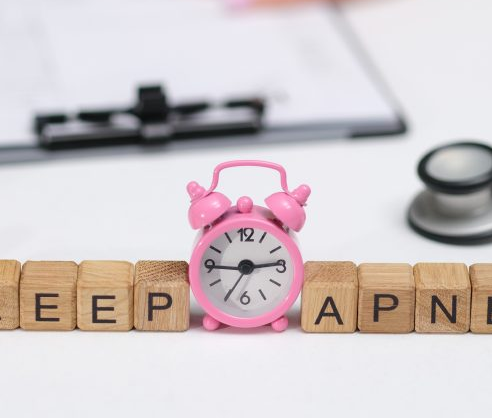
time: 2:44
